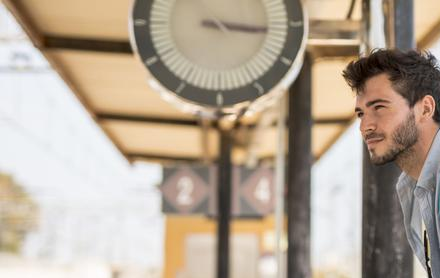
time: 3:16
